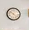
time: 10:22
